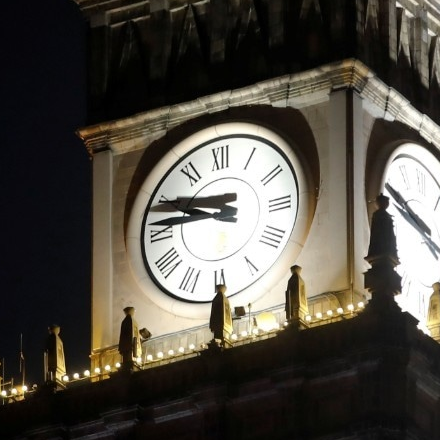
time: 9:45
